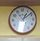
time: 1:09
